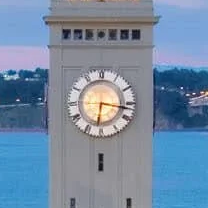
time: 6:16
